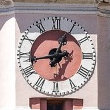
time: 12:43
